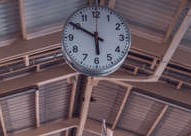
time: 5:50
